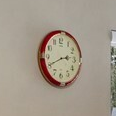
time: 2:40
